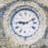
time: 9:10
